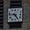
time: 9:25
